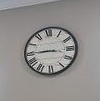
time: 8:45
